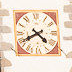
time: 4:40
